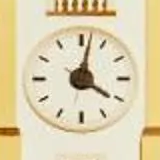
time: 4:02
